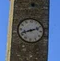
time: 8:11
